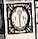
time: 12:28
